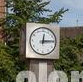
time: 12:14
